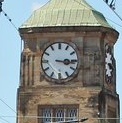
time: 3:15
